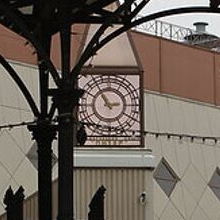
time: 2:54
